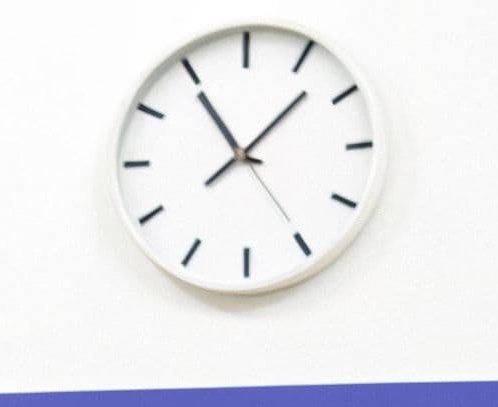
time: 11:07
